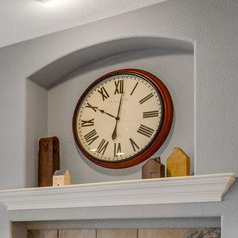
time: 10:01
